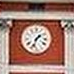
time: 1:33
